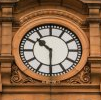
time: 10:30
